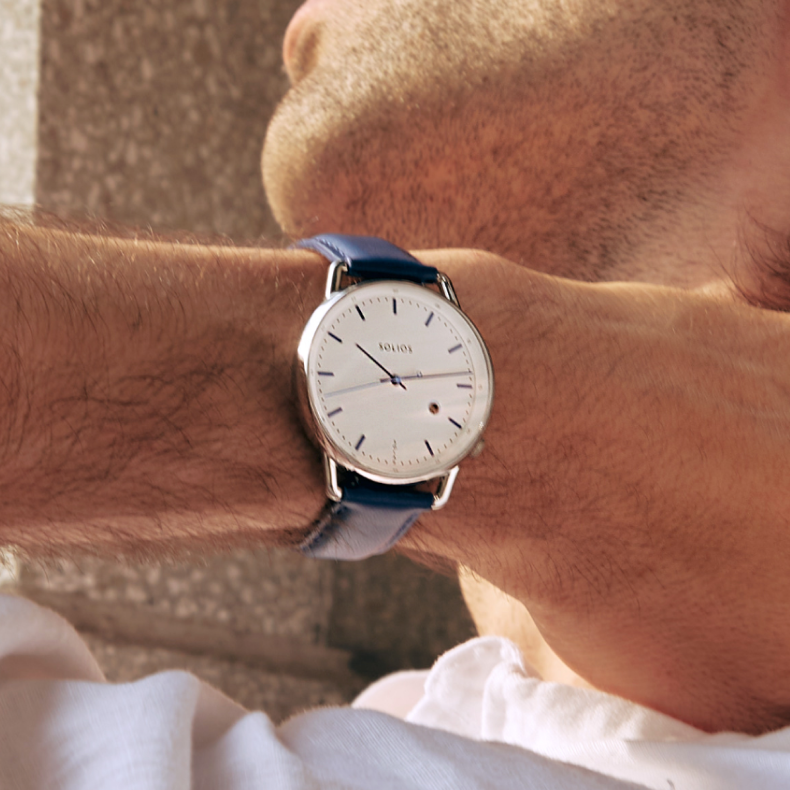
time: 10:13
